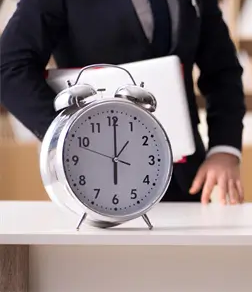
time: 6:00
